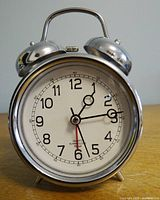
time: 1:13
